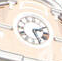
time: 2:25
